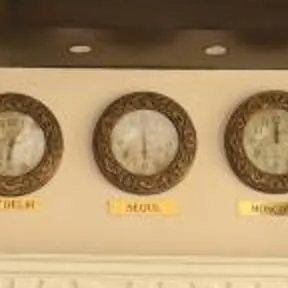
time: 5:59
